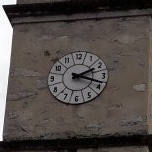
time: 2:18
